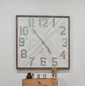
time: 4:53
